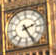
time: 2:25
